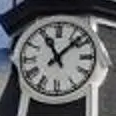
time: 11:07
